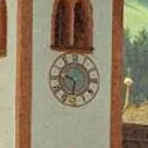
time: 9:31
